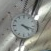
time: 4:18
